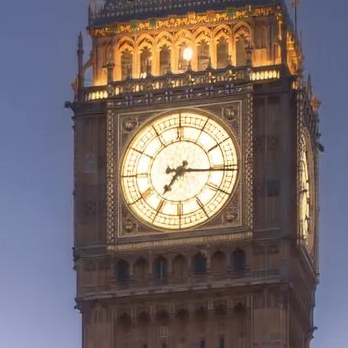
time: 7:15
